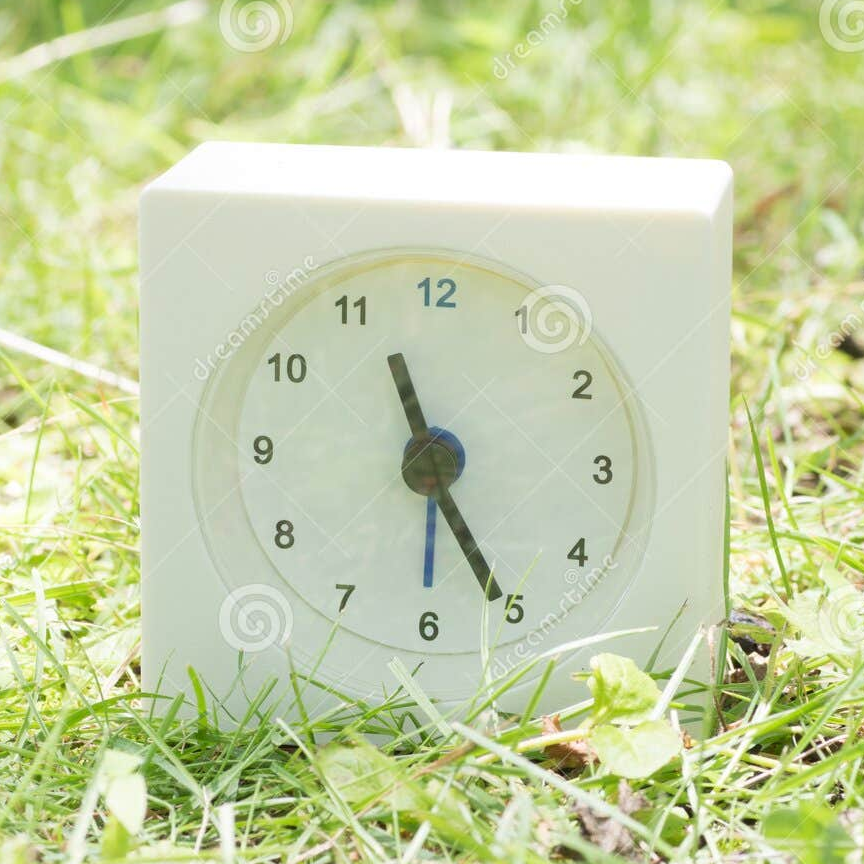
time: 11:25
